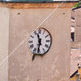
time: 11:32
